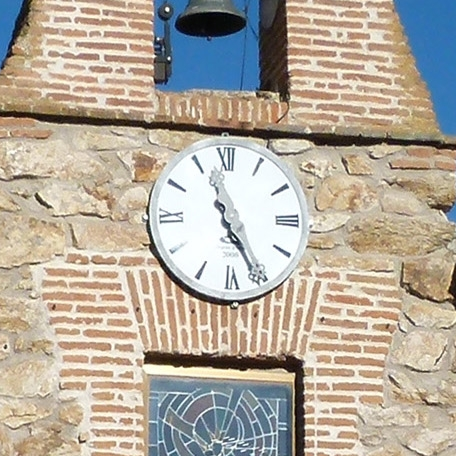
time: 11:25
